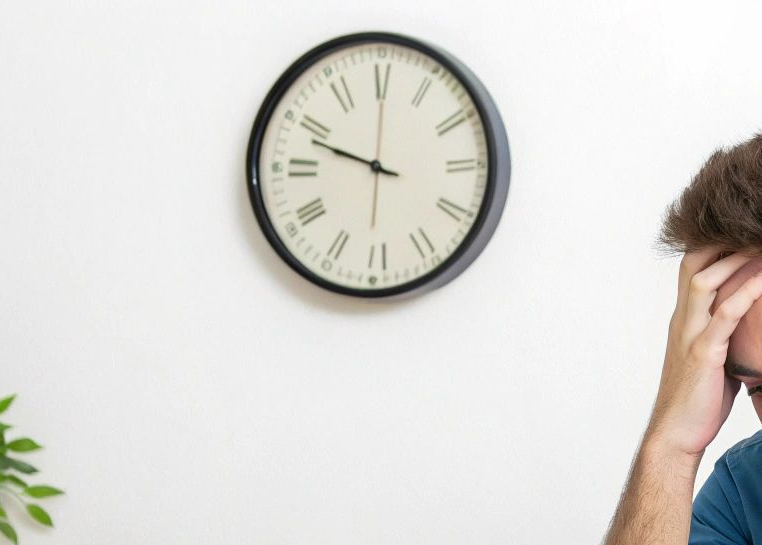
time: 9:48
